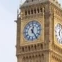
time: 12:24
